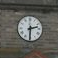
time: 2:30
